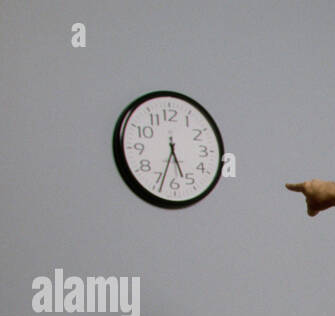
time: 5:33
